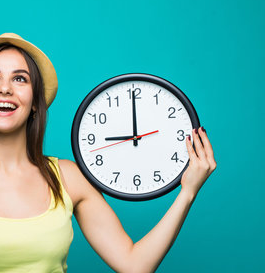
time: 8:59
